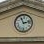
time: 11:12
